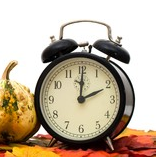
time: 2:00
